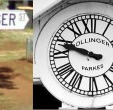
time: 9:48
